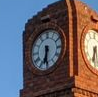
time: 6:29
